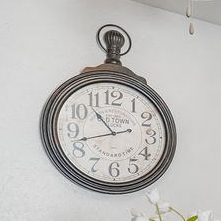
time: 10:42
